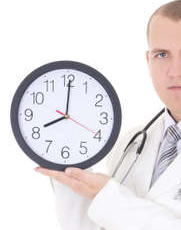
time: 8:00
